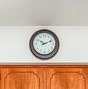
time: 10:11
